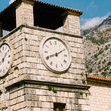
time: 8:09
